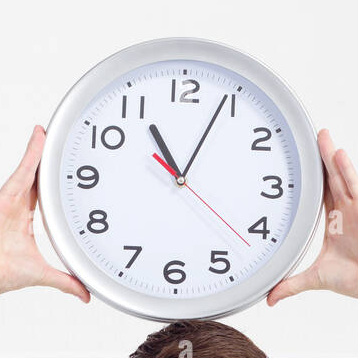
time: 11:04
